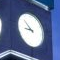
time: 8:52
